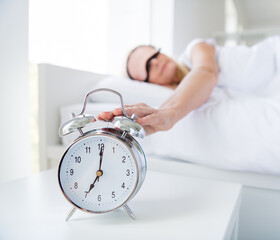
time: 7:00
